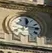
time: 12:14
